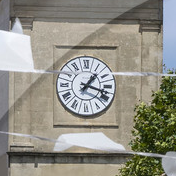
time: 1:18
